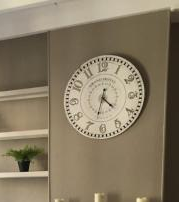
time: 4:32
